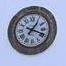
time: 1:18
